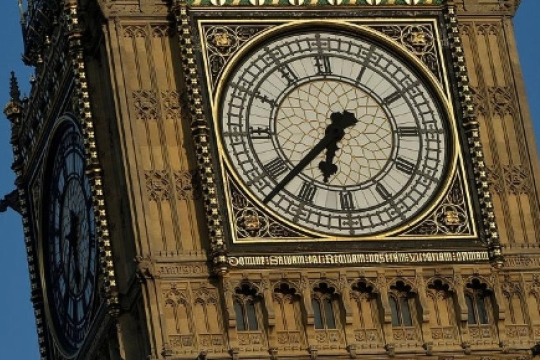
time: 6:38
